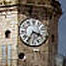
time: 3:35
